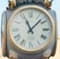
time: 11:07
